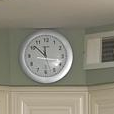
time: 11:51
